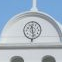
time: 11:28
